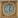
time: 5:03
